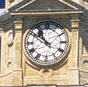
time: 10:51
